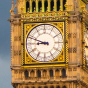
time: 8:48
